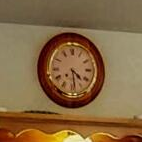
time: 4:28
